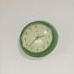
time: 2:37
